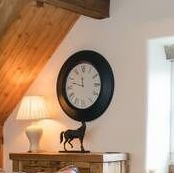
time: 11:47
